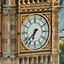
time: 6:37
